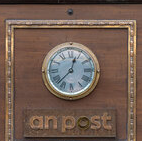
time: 12:37
